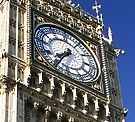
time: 7:35
